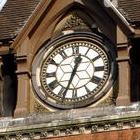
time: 12:33
